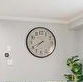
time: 7:40
